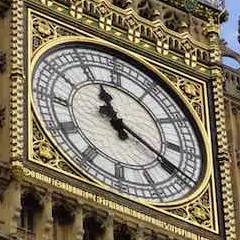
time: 11:19
